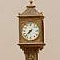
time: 7:37
